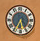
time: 5:35
